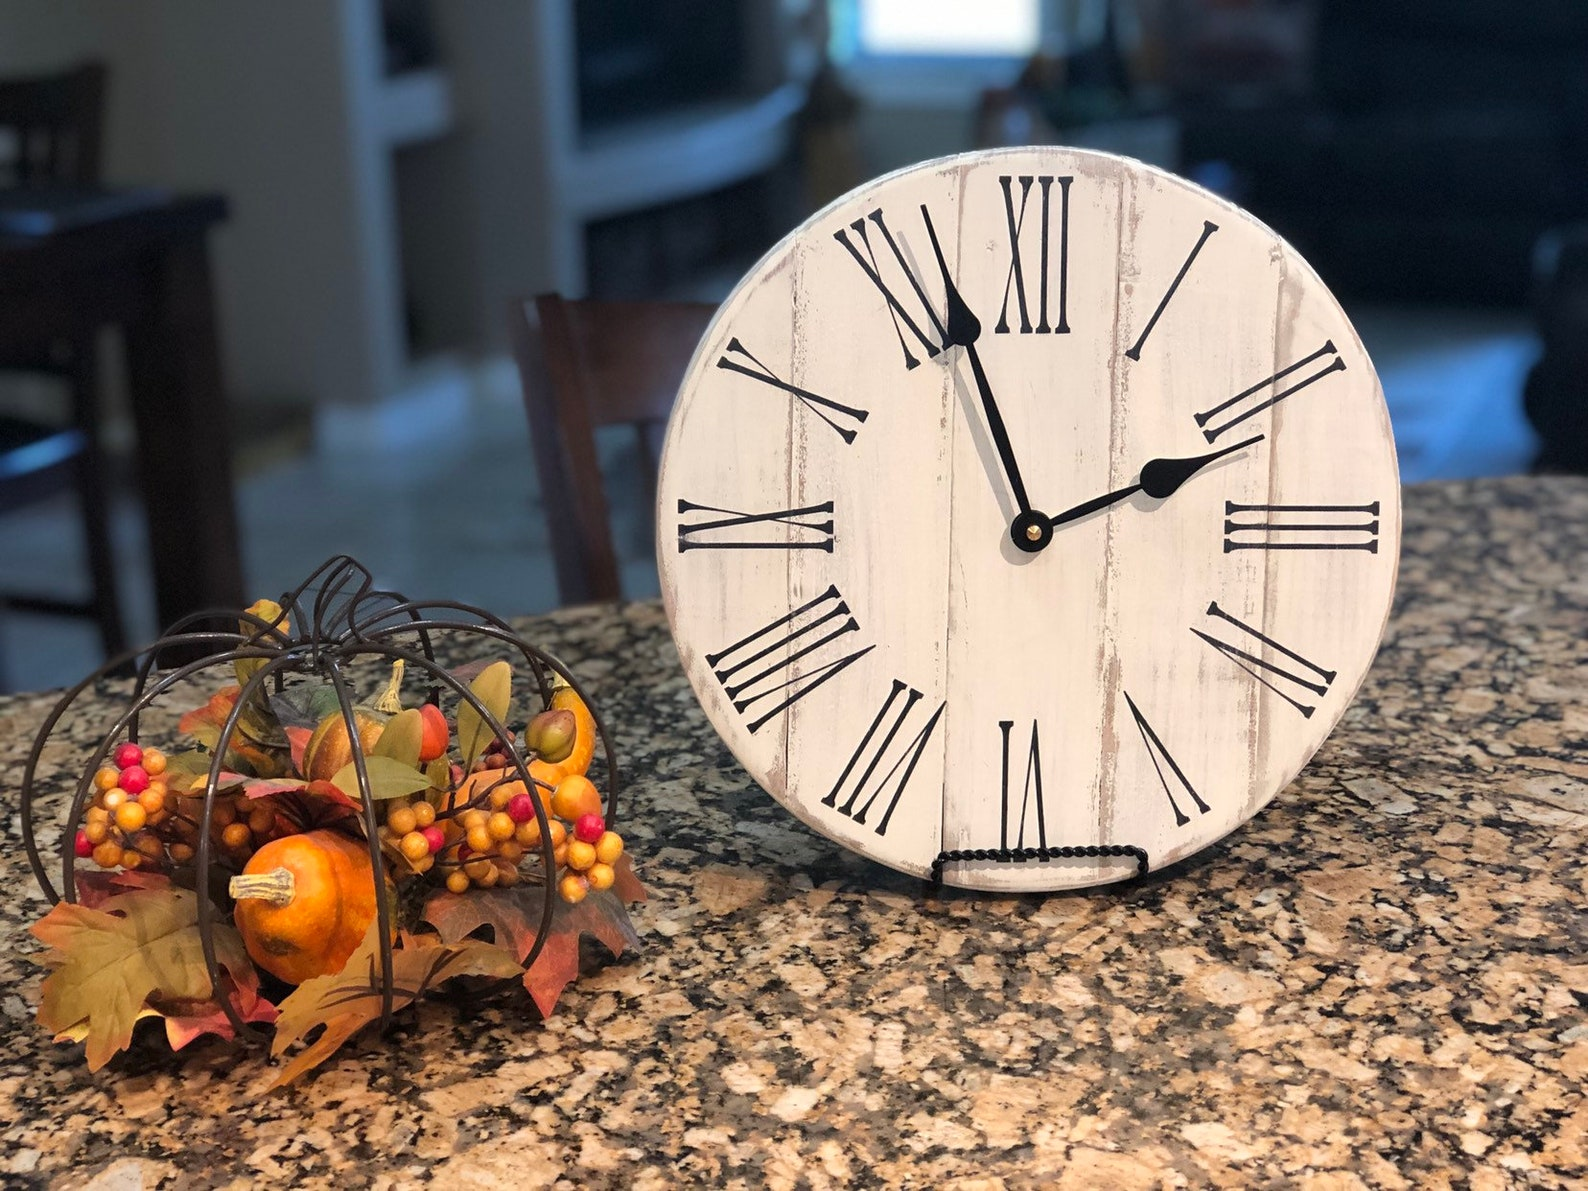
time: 1:56
